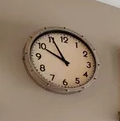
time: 9:55
